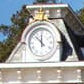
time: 11:52
